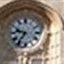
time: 9:36
